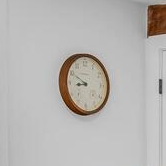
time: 8:49
